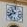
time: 10:41
